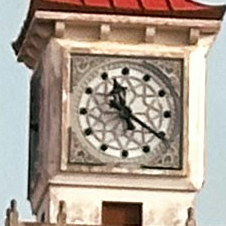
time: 11:20
